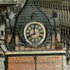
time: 11:40
